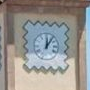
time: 12:06
